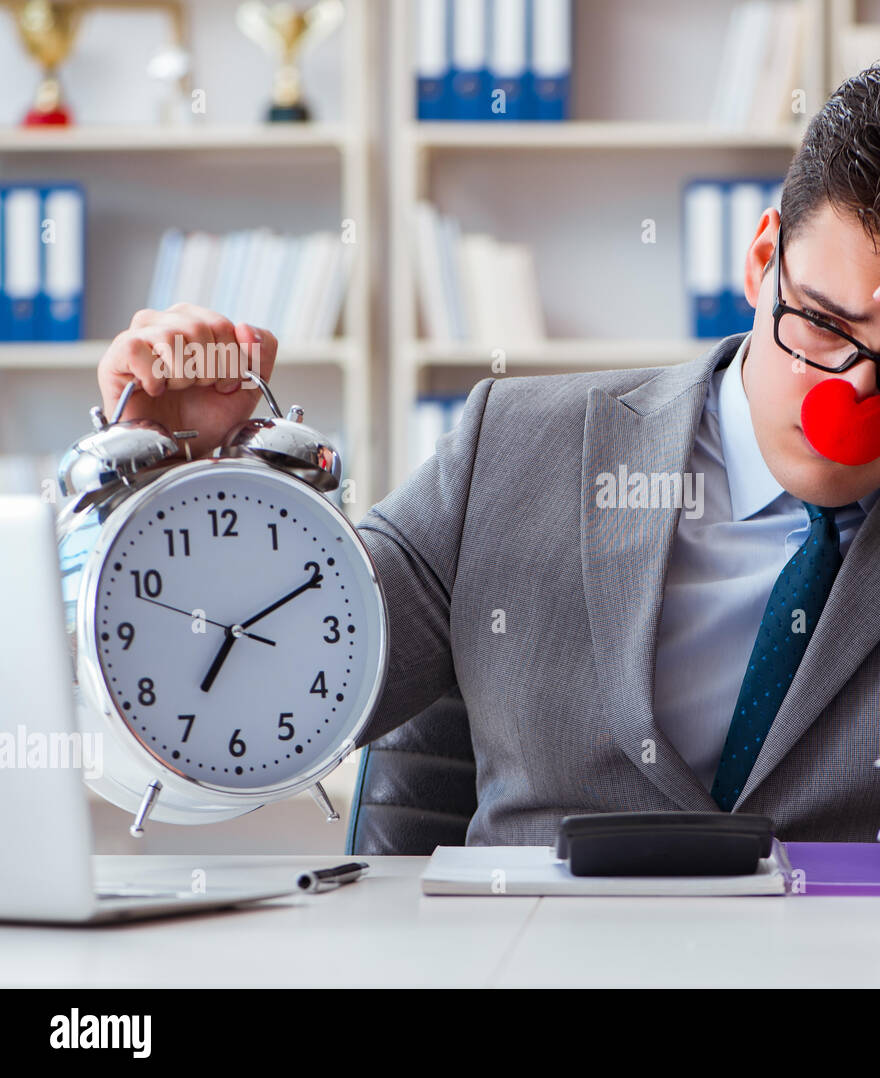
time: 7:10
